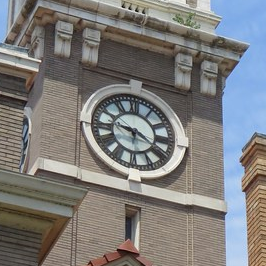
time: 9:20
